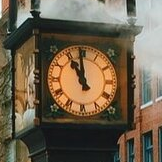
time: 10:59
